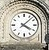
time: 4:07
